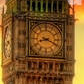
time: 8:19
